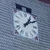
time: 1:09
